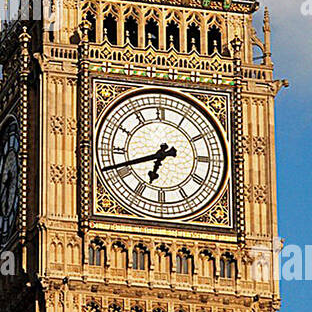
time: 6:41
